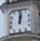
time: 12:01
